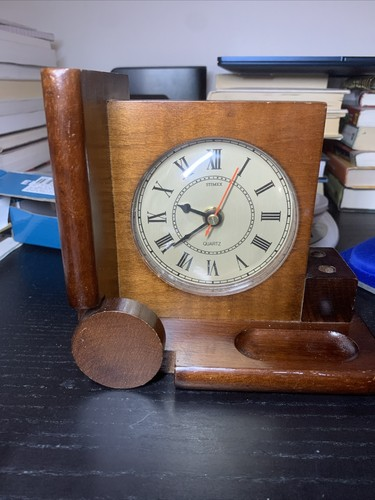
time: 9:39
